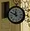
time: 11:49
